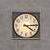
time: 4:14
